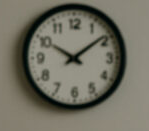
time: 10:08
